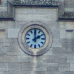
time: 2:00
